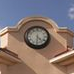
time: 4:31
